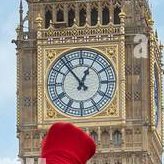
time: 12:53
